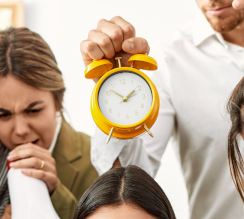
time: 1:52
